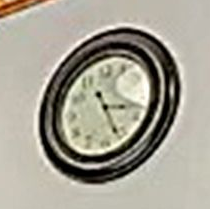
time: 11:17
